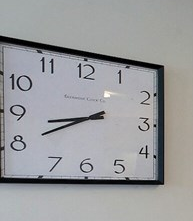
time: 8:40
